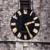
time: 2:25
